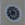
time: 7:54
